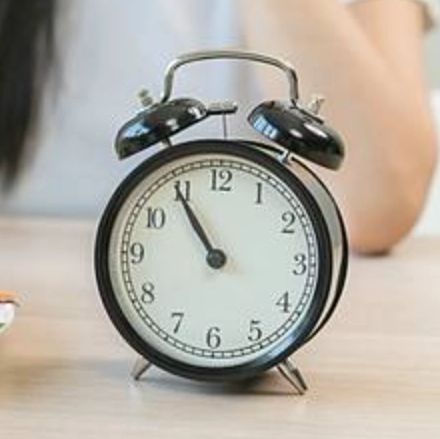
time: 10:54
